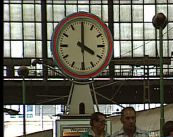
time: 4:00
